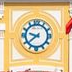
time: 9:38
